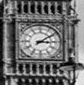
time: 3:09
